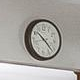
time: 10:22
